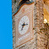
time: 7:15
